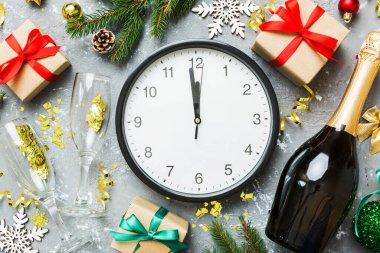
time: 11:58
